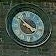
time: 3:51
